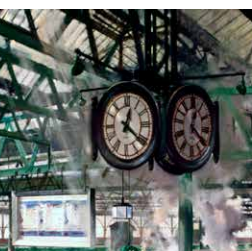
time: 12:21
